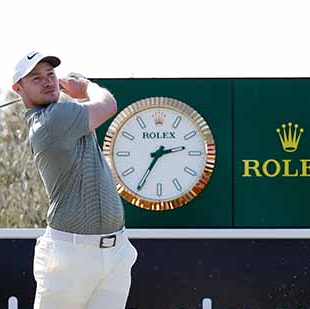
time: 2:35
